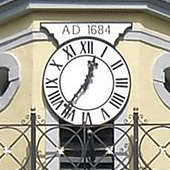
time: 12:36
